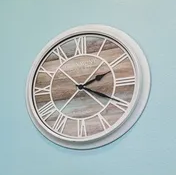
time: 2:19
